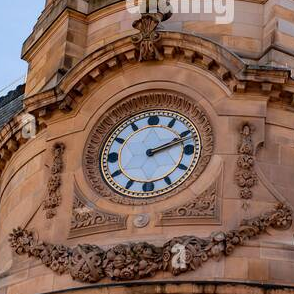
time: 2:11
